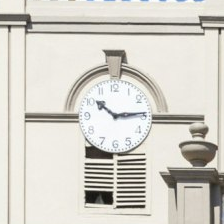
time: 10:14
